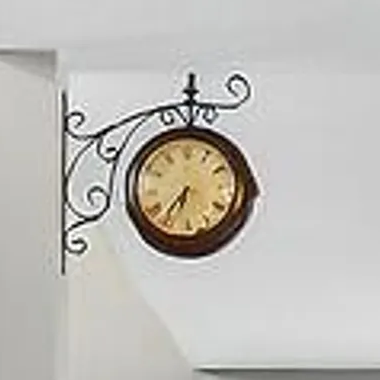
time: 6:36
